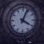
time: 4:04
